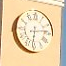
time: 6:13
